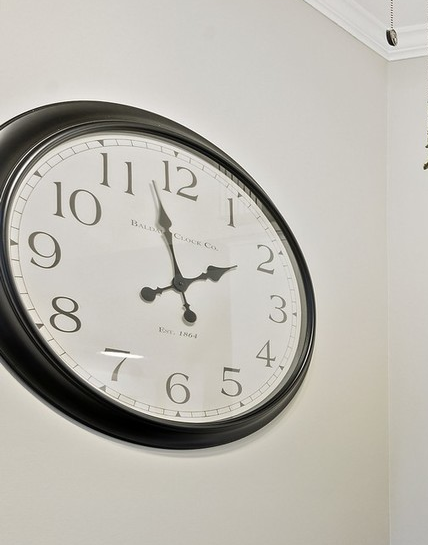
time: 1:57
